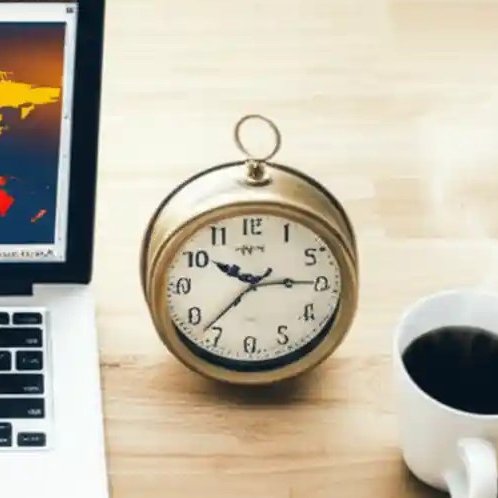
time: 10:14
